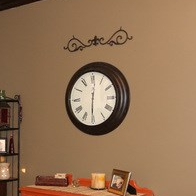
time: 6:01
